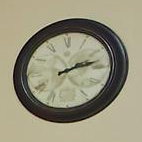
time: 2:12
